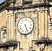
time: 5:26
